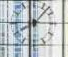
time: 8:07
